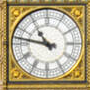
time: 10:47
